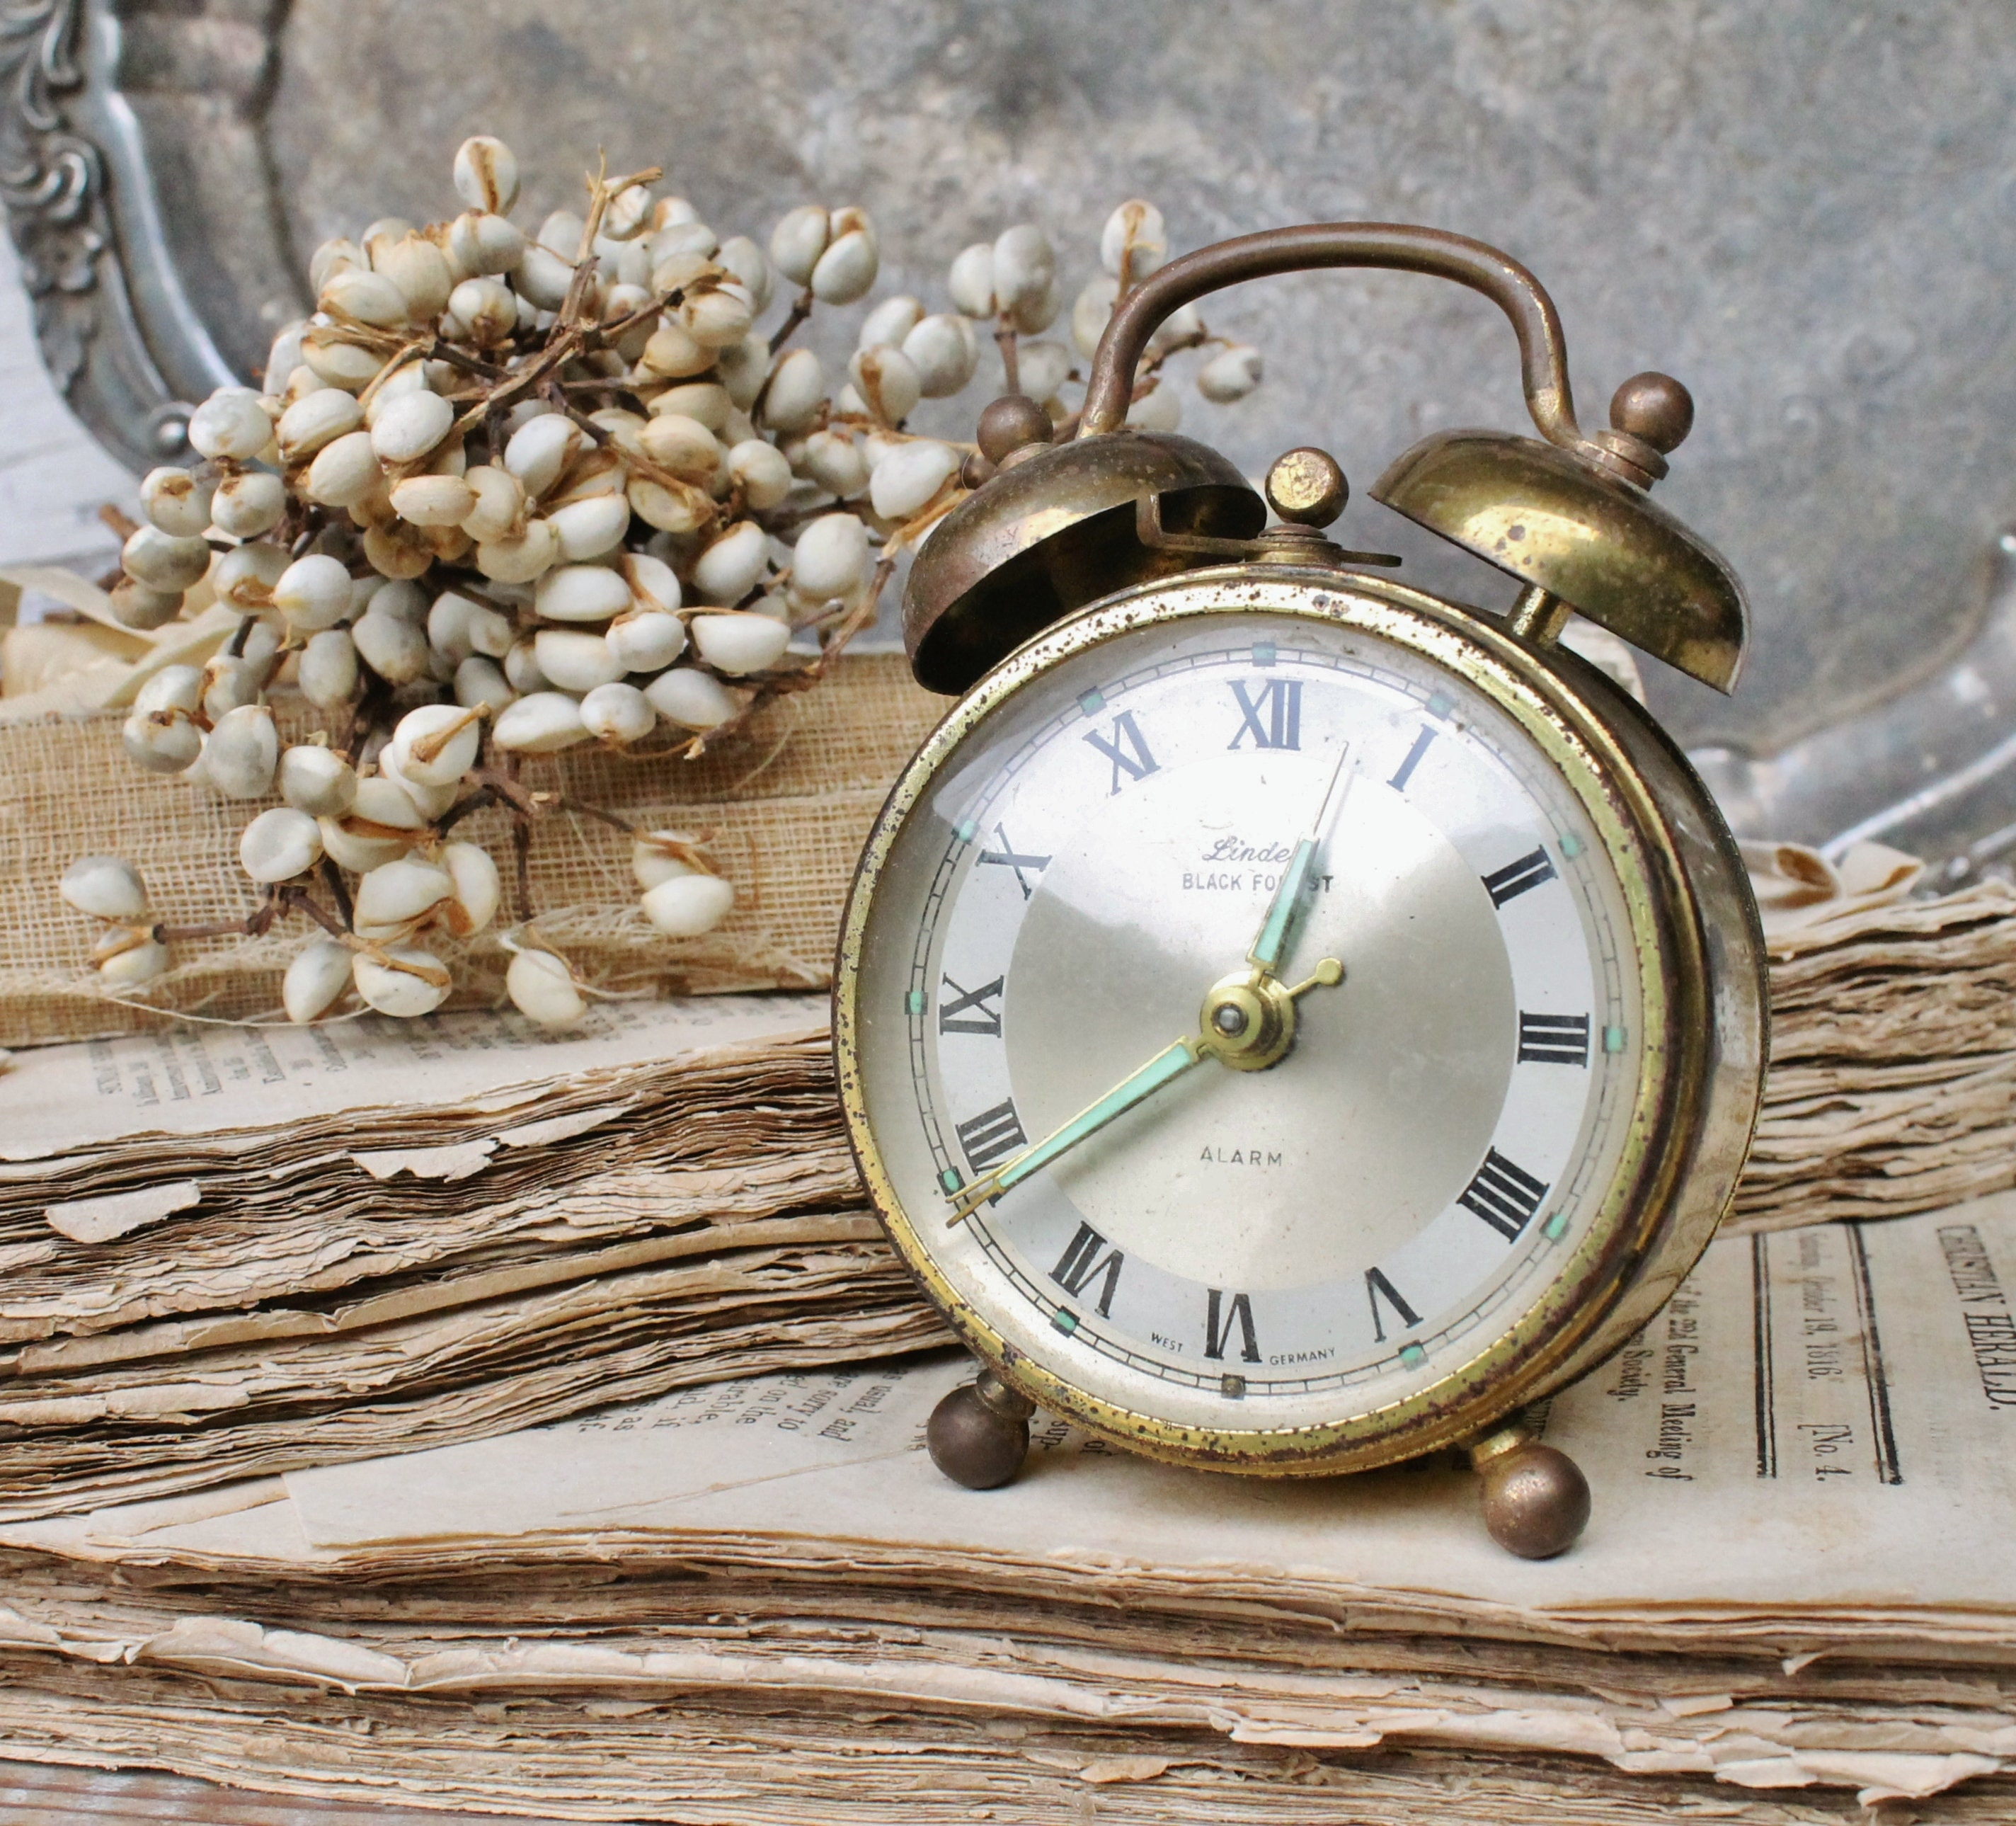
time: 12:38
